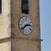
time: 2:38
